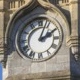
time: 2:03
